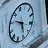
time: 5:51
